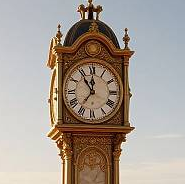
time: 11:53
